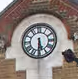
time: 5:30
